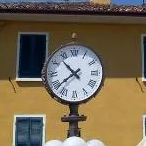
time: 10:38
